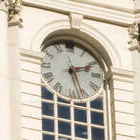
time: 2:27
